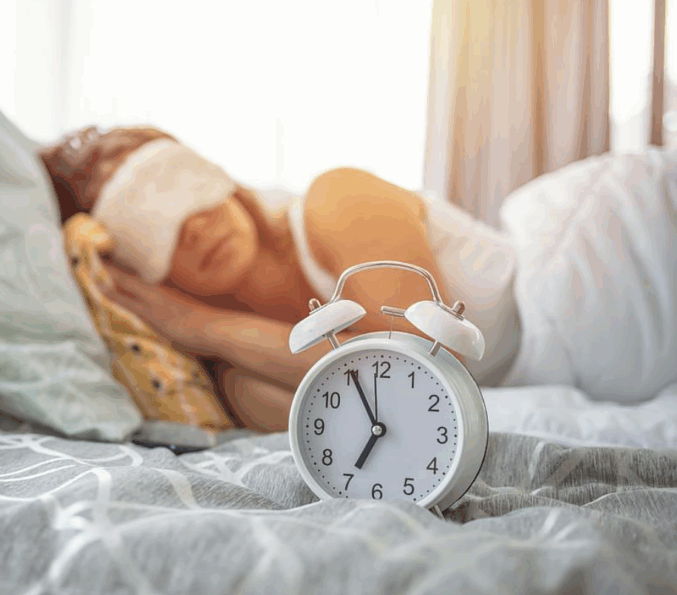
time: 6:55
